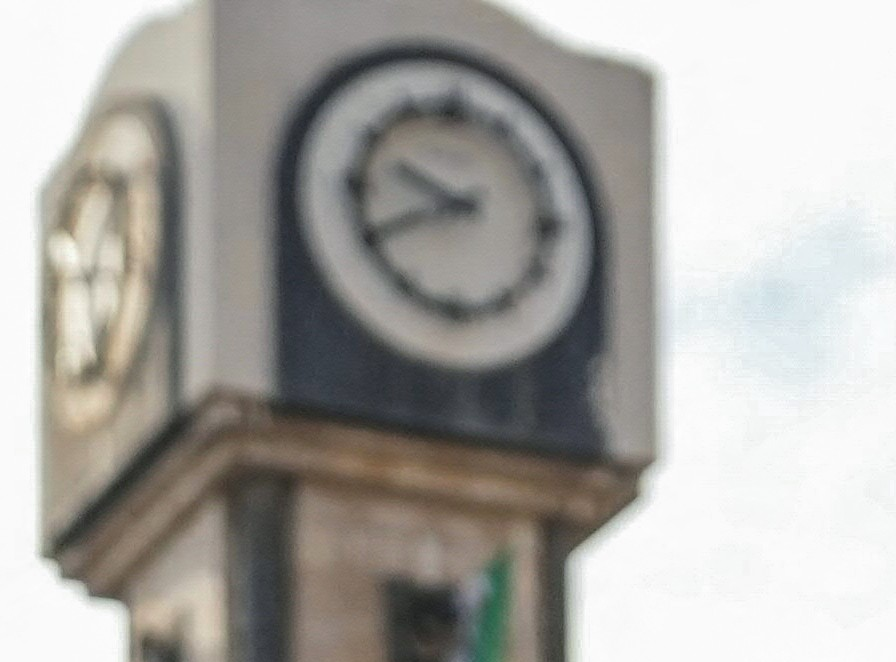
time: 9:40
